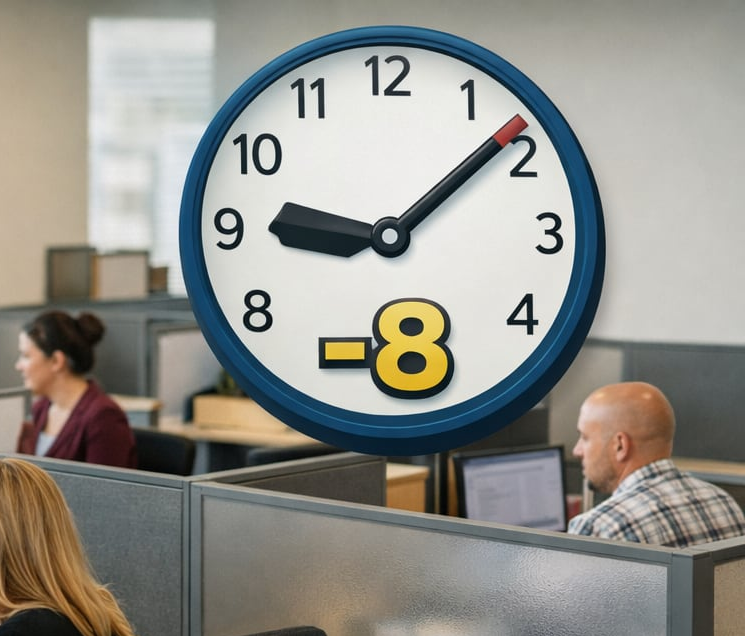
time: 9:08
